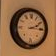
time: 2:14
